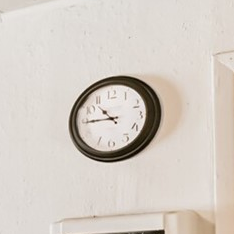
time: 10:44
